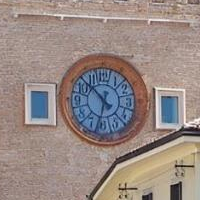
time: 10:32
